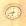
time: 8:32
